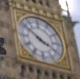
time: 3:51
